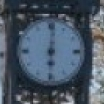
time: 6:01
